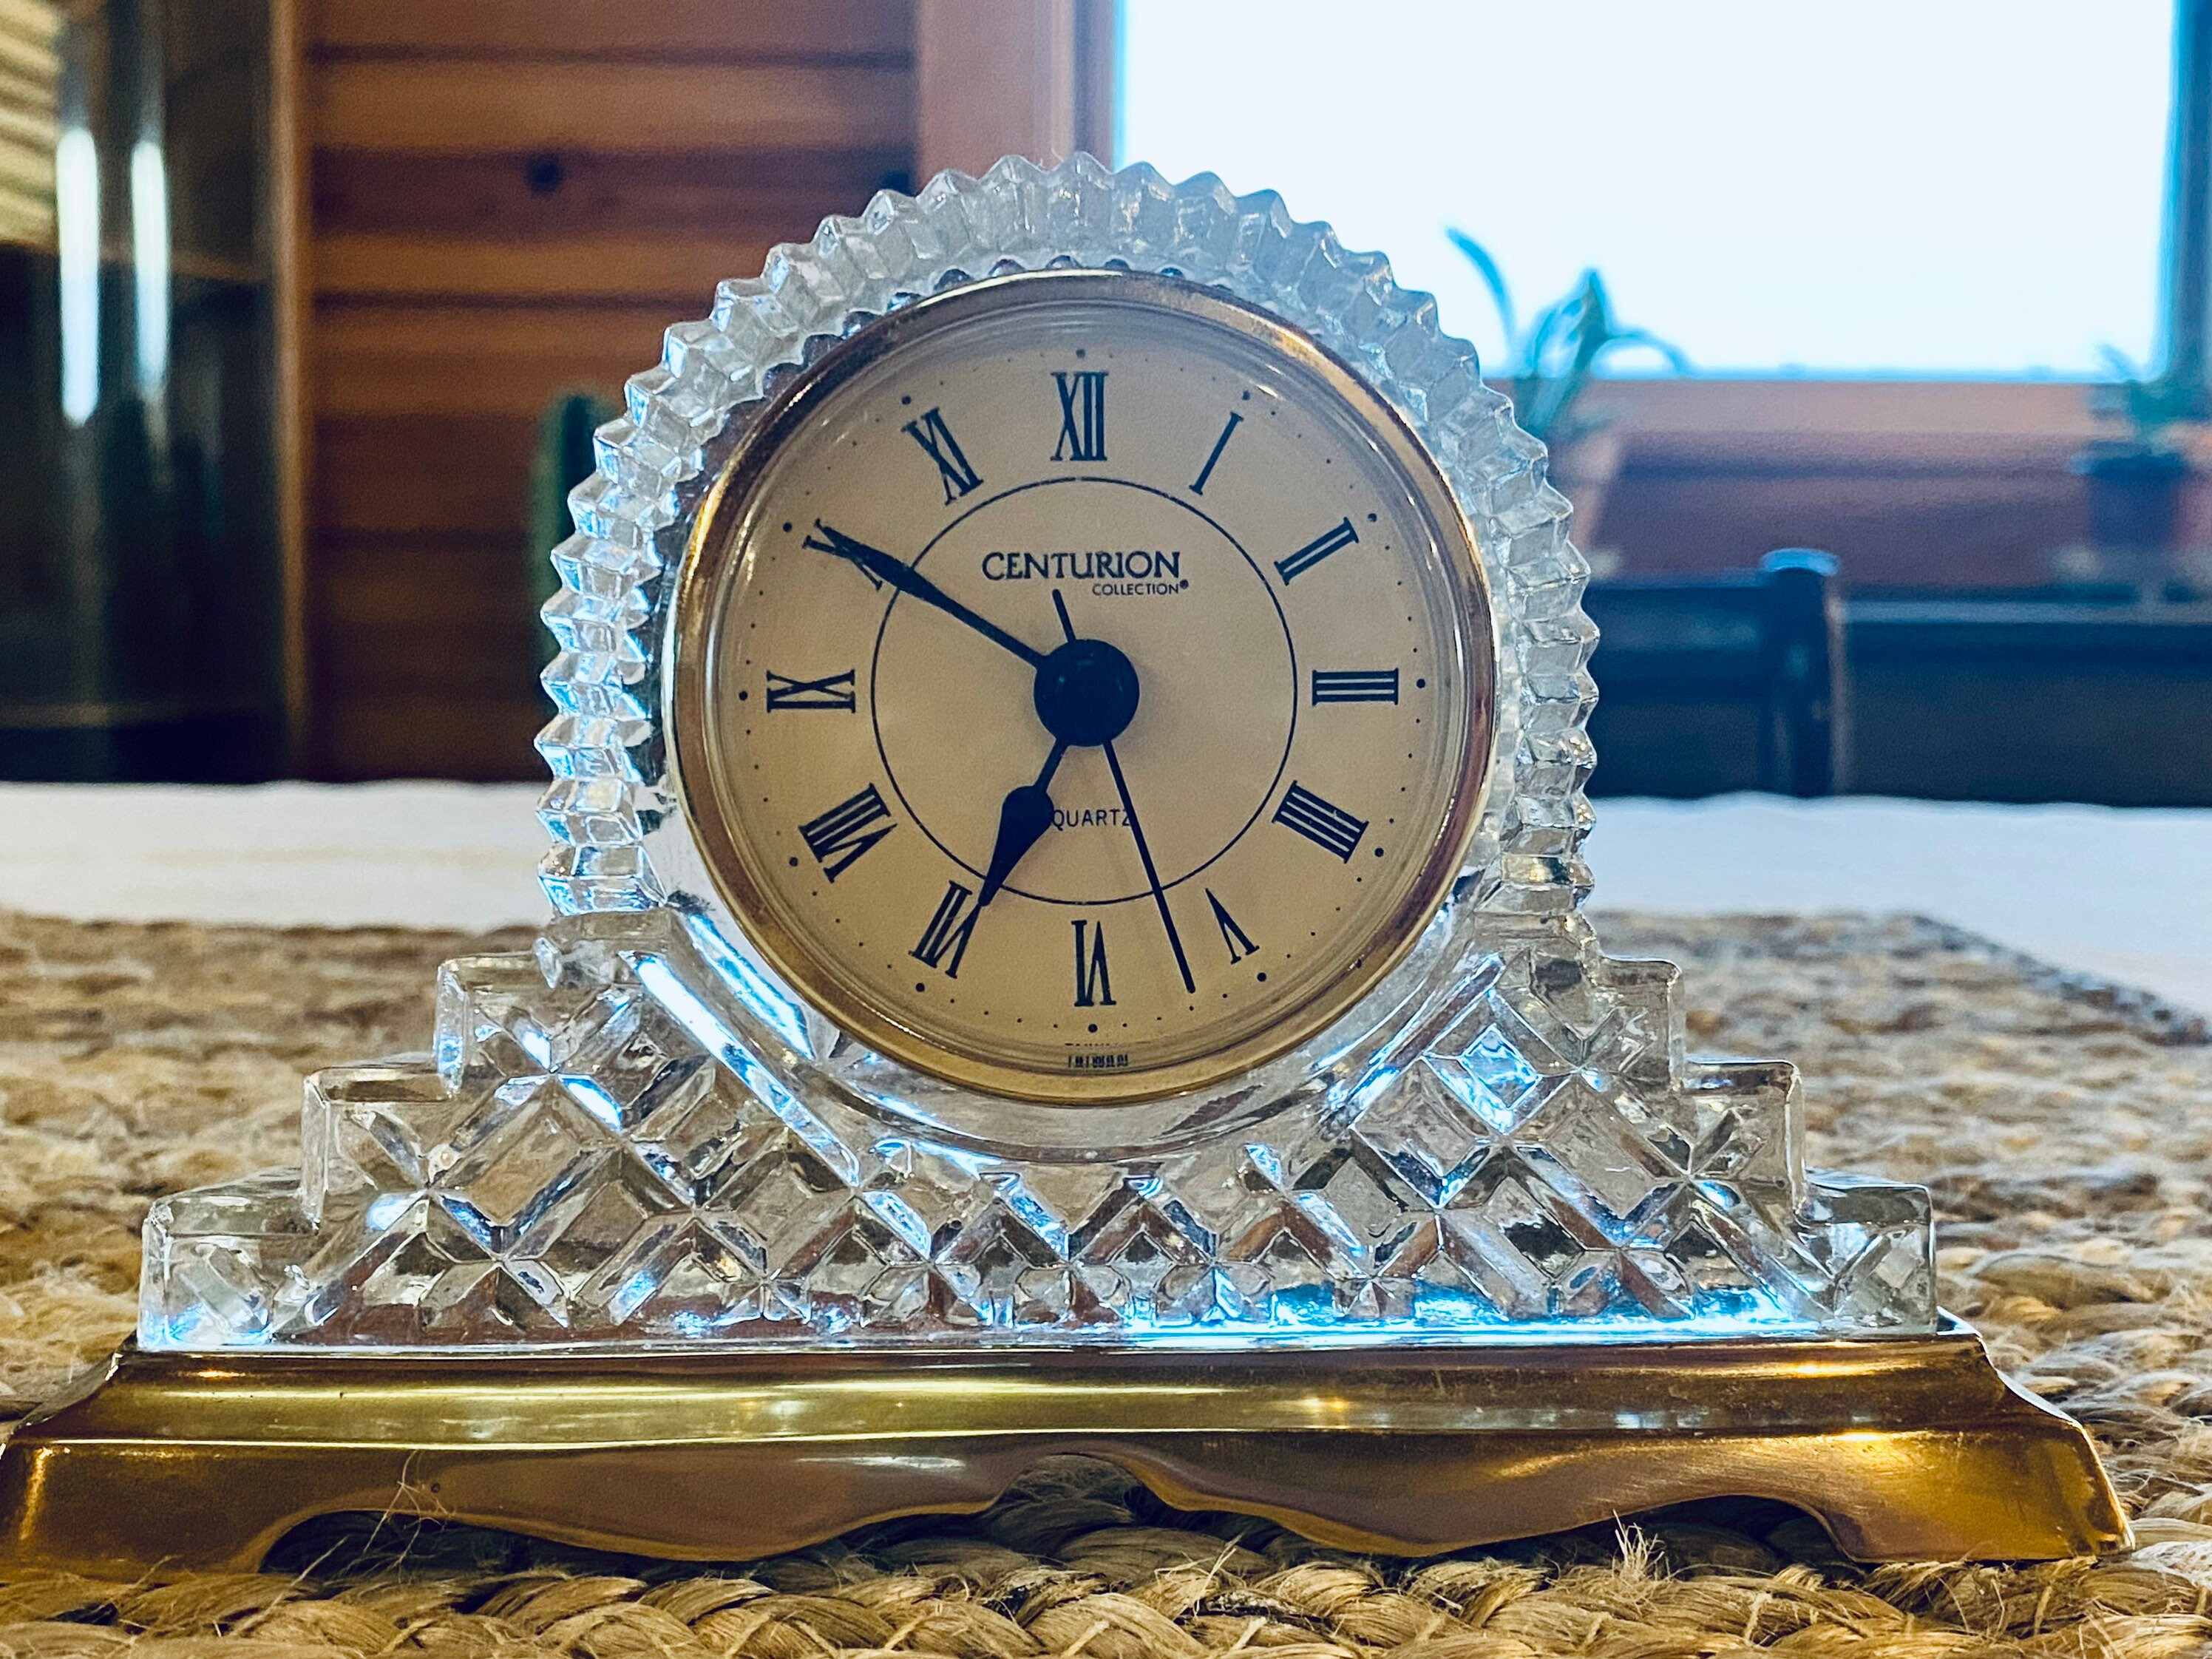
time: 6:50
